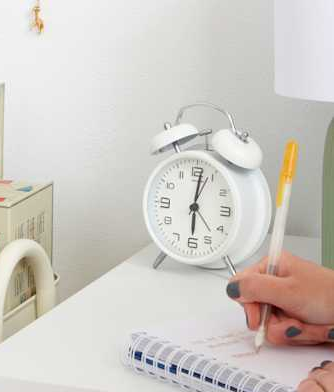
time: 6:01
